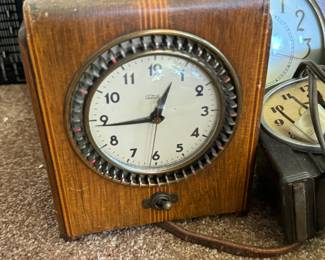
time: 12:43
